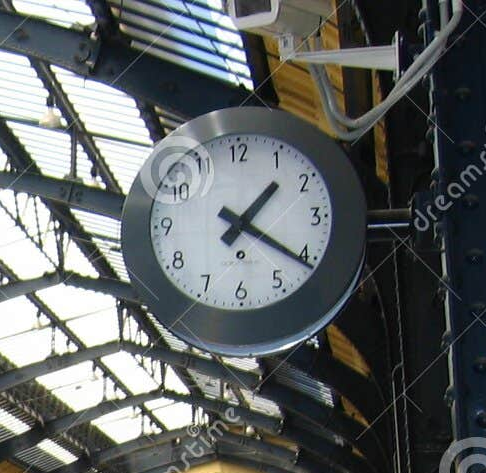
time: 1:20
